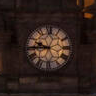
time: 9:44
